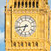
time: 6:43
